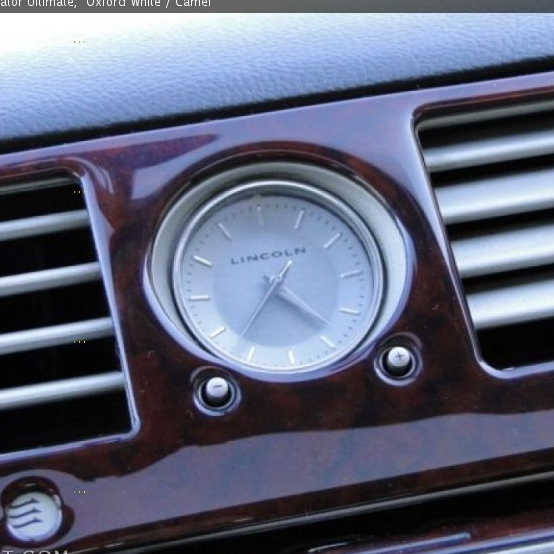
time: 1:23
